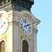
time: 1:59
